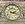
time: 2:18
